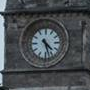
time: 4:27
